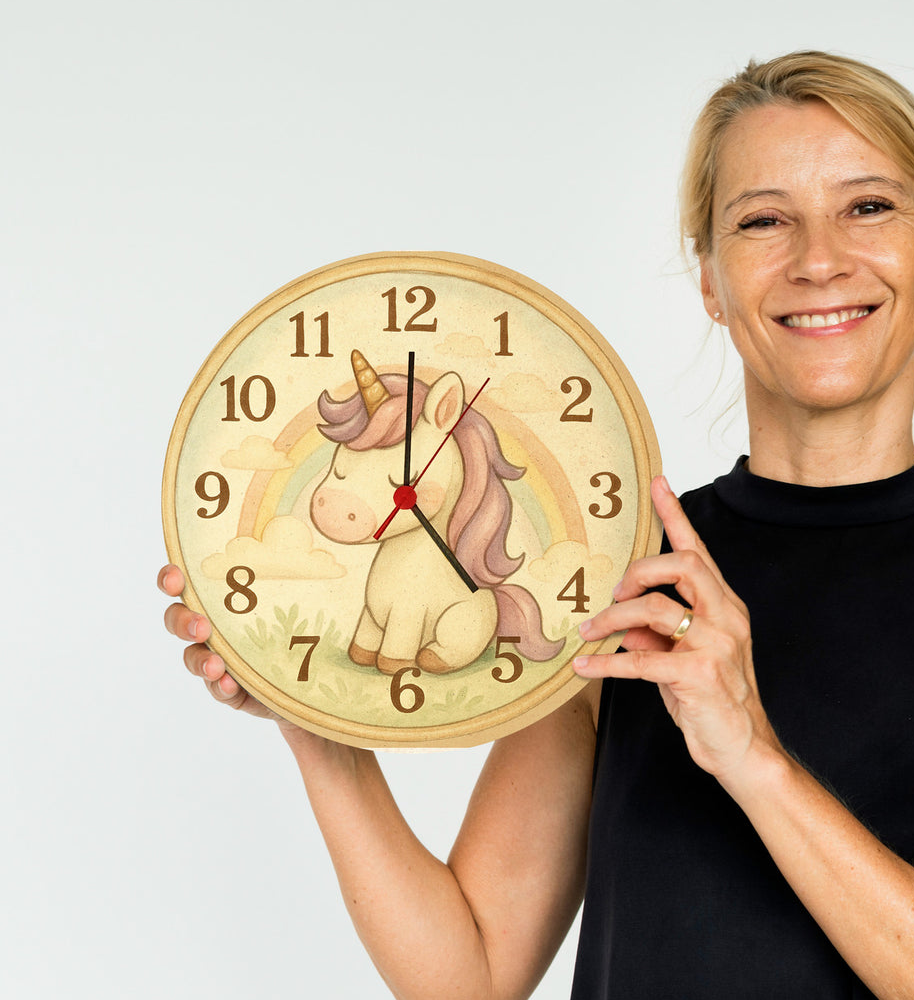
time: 12:23
